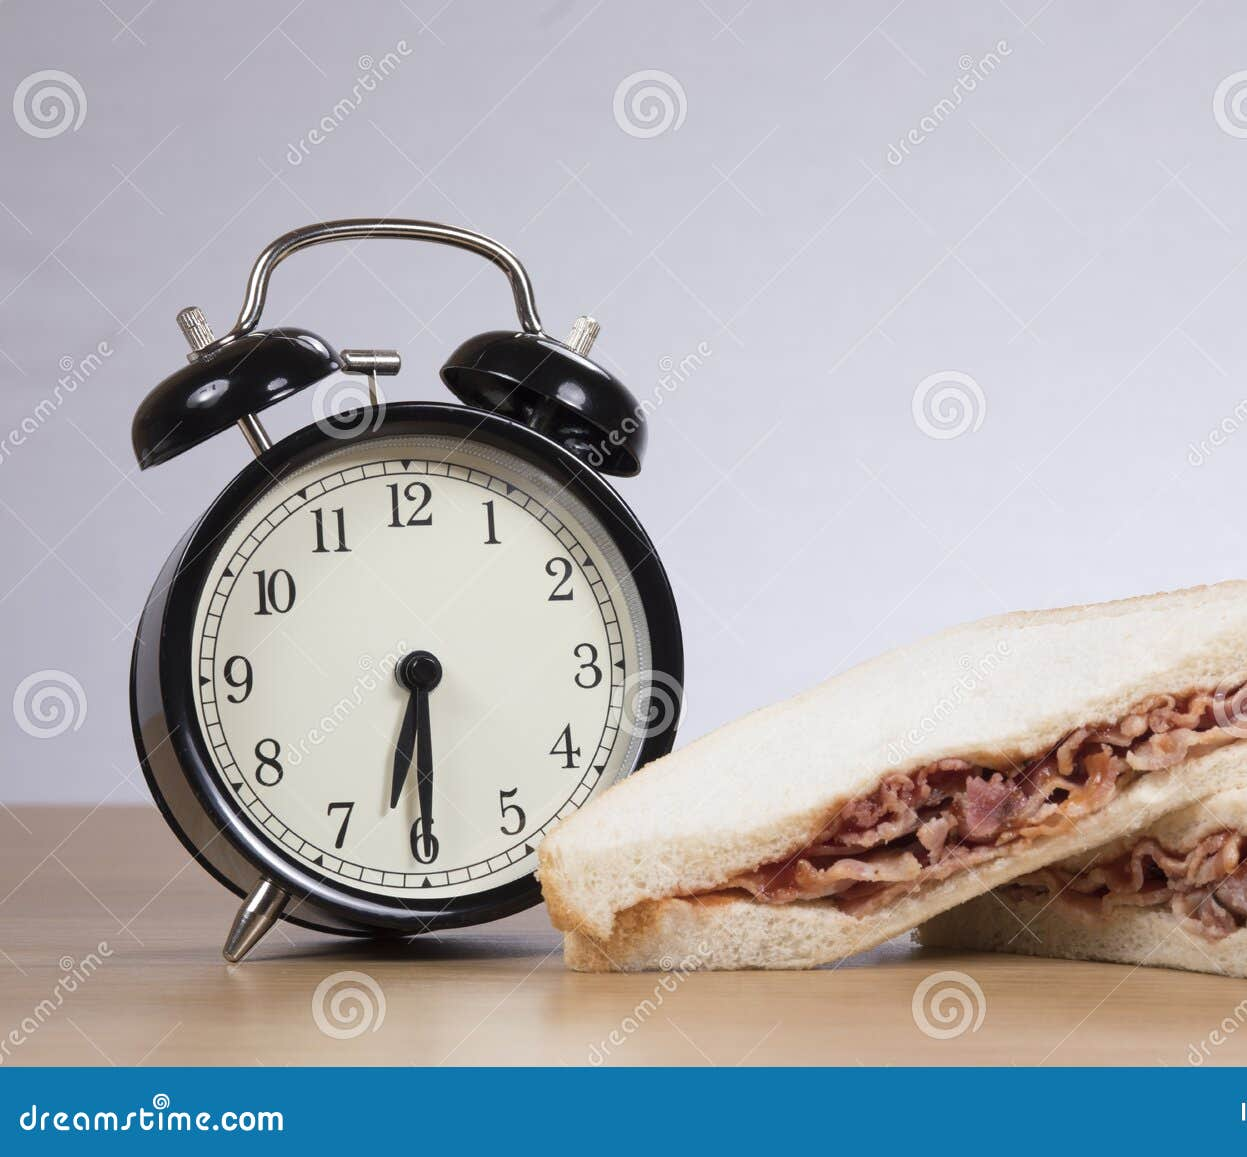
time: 6:30
